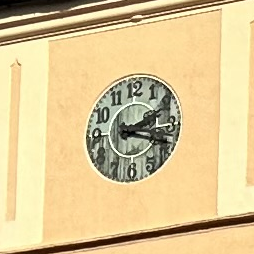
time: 2:18
